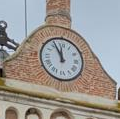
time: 11:55
